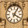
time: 4:04
